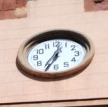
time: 12:34
